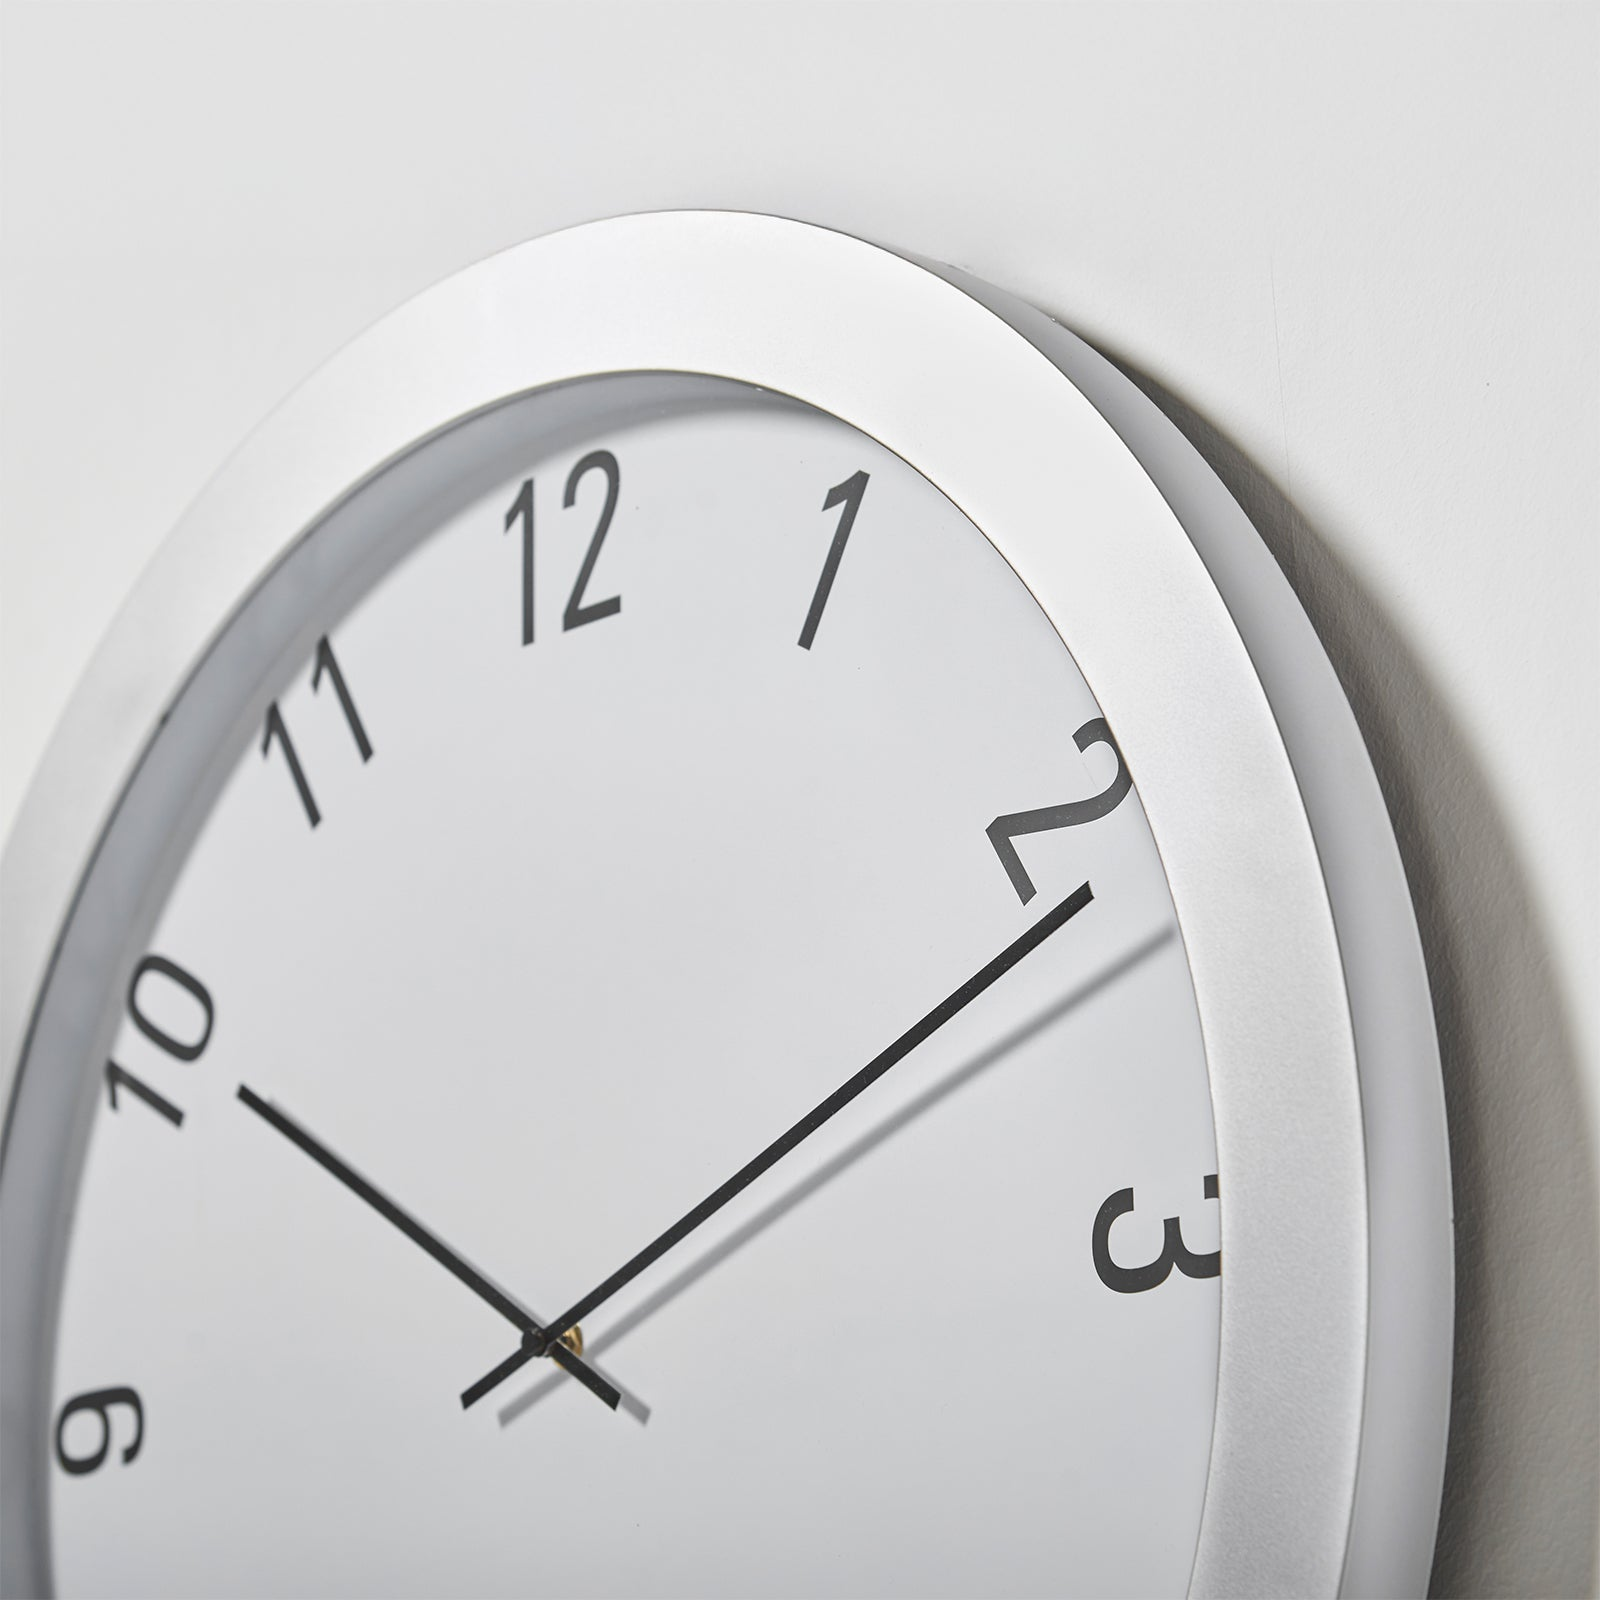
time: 10:10
